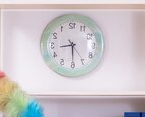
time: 8:29
